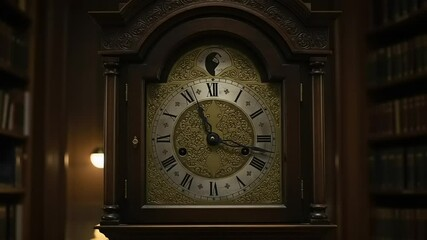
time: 11:17
